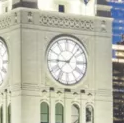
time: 9:07
